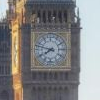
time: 7:47
